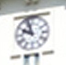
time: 9:57
